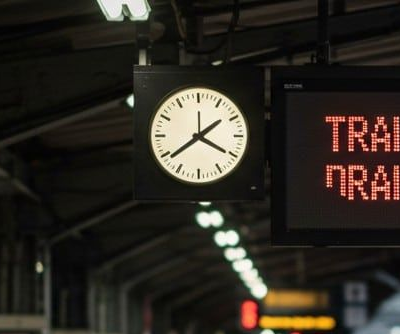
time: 1:39
